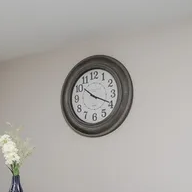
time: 10:19
